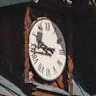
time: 9:44
